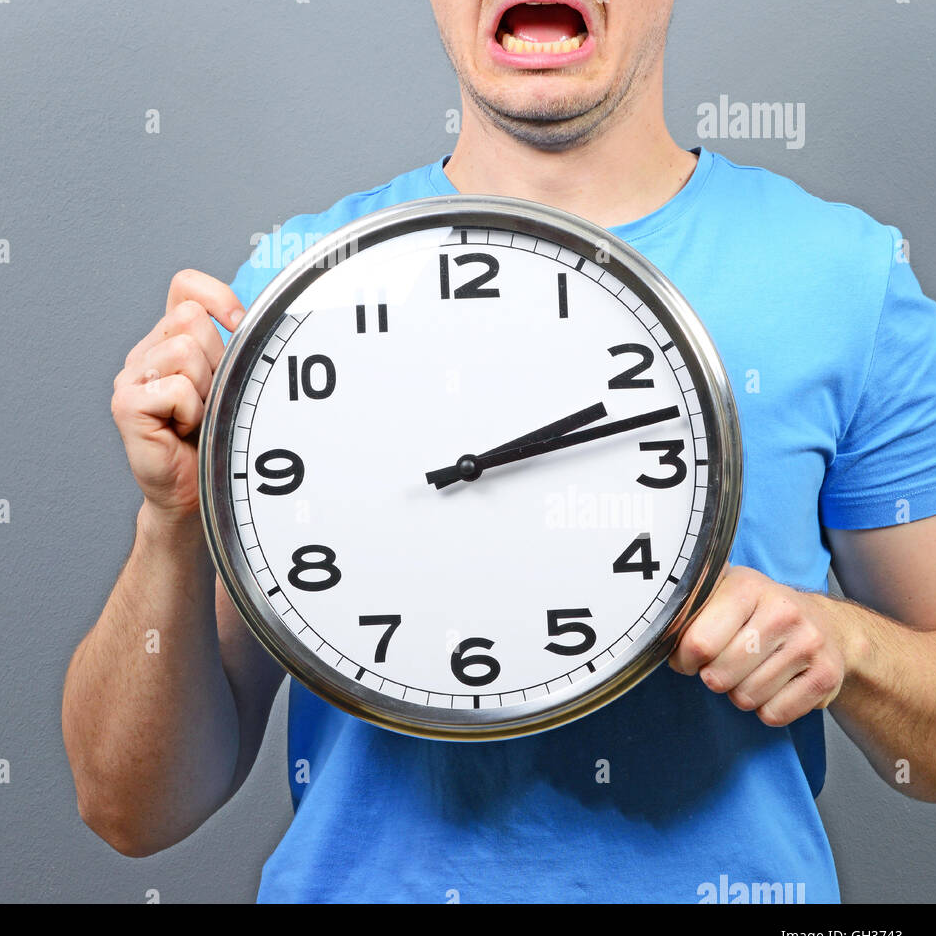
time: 2:12
